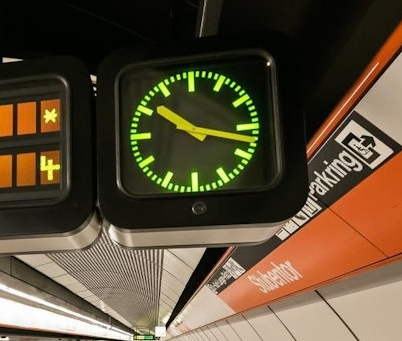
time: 10:17
